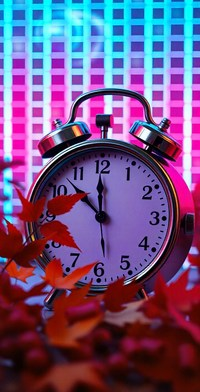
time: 11:52
